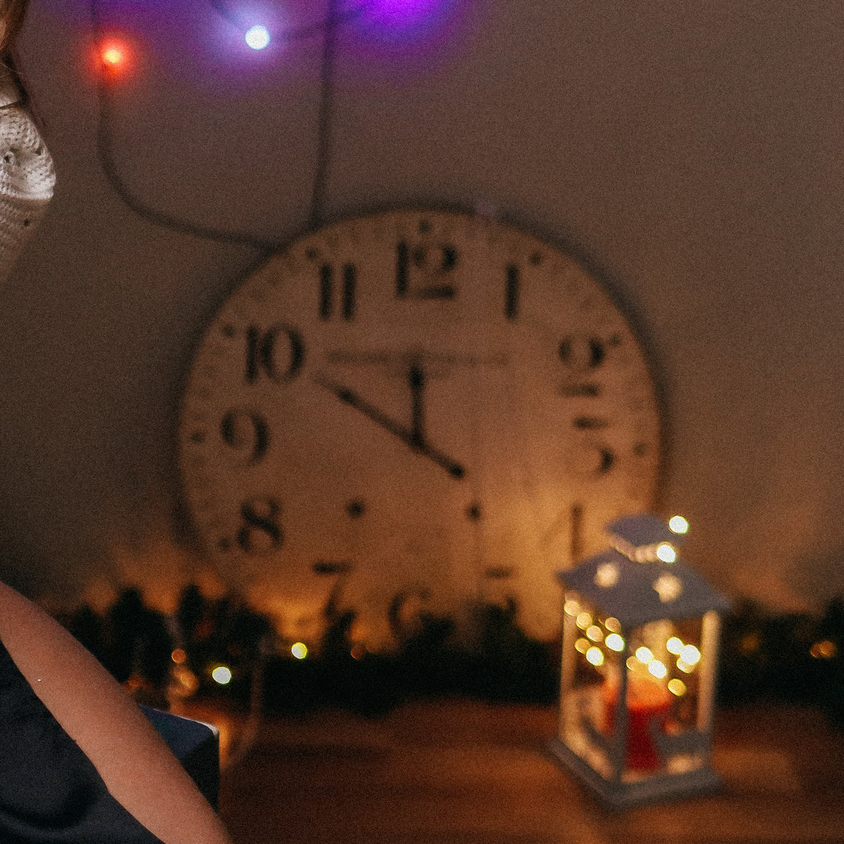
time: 11:50
